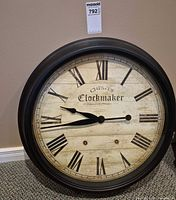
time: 9:43
